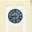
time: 8:29
